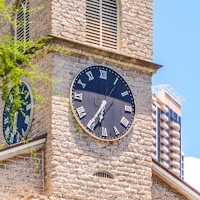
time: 6:35
